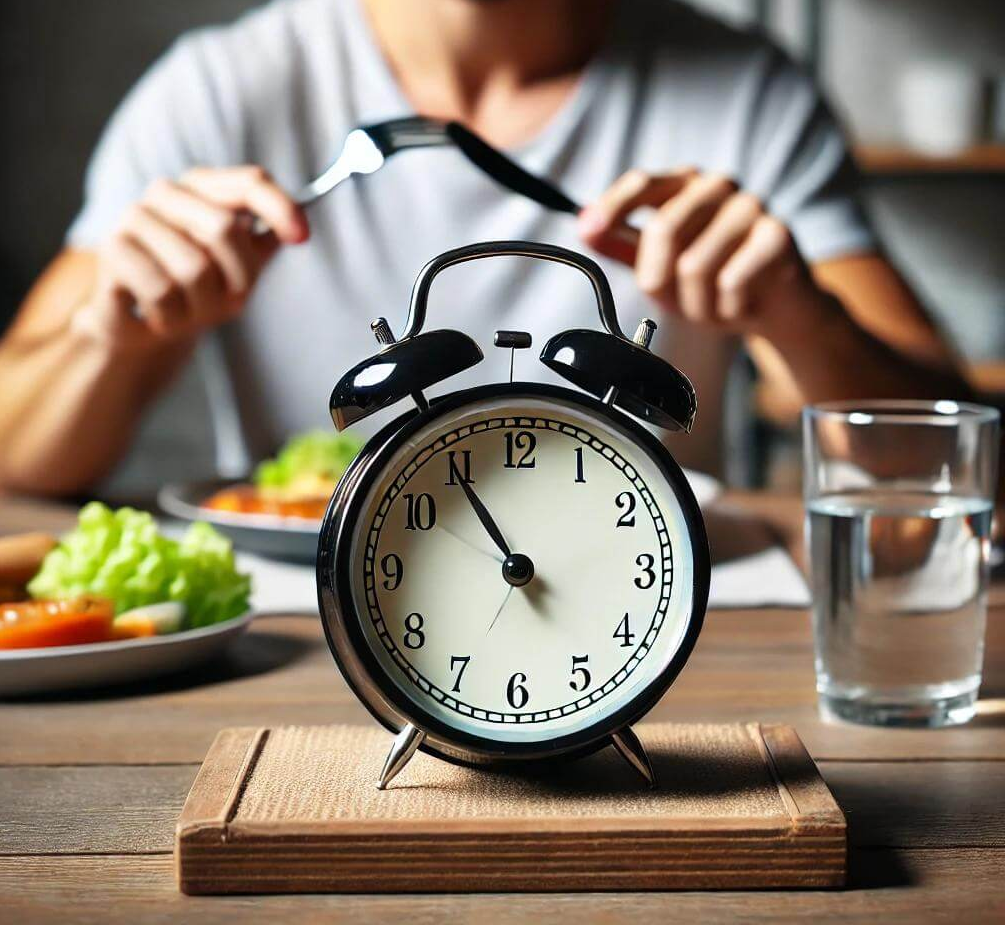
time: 10:54
